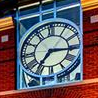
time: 7:15
